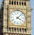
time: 4:07
